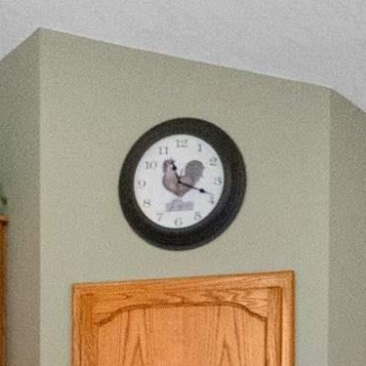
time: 11:18
